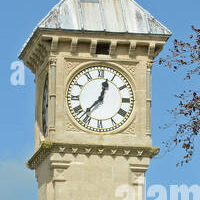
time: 12:37
